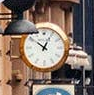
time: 12:51
